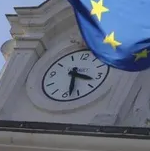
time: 3:28
